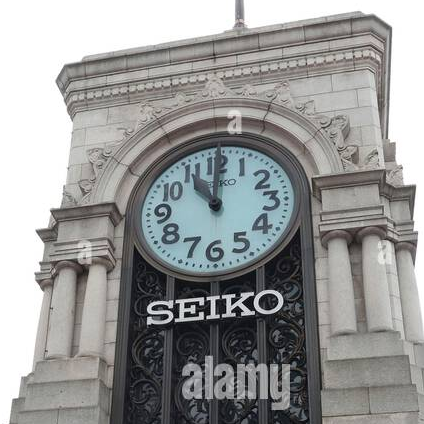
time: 11:00
